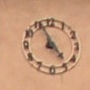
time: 4:56
